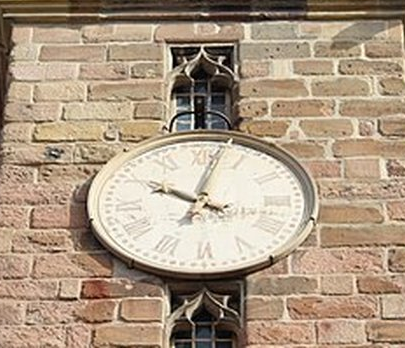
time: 10:02
